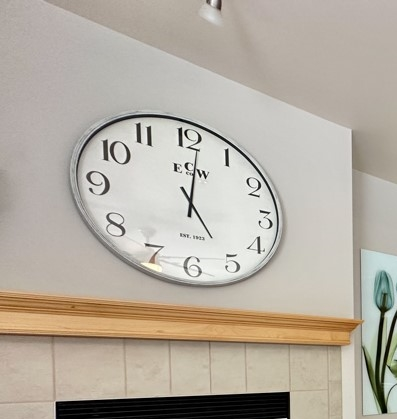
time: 5:01
